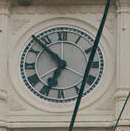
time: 6:52
